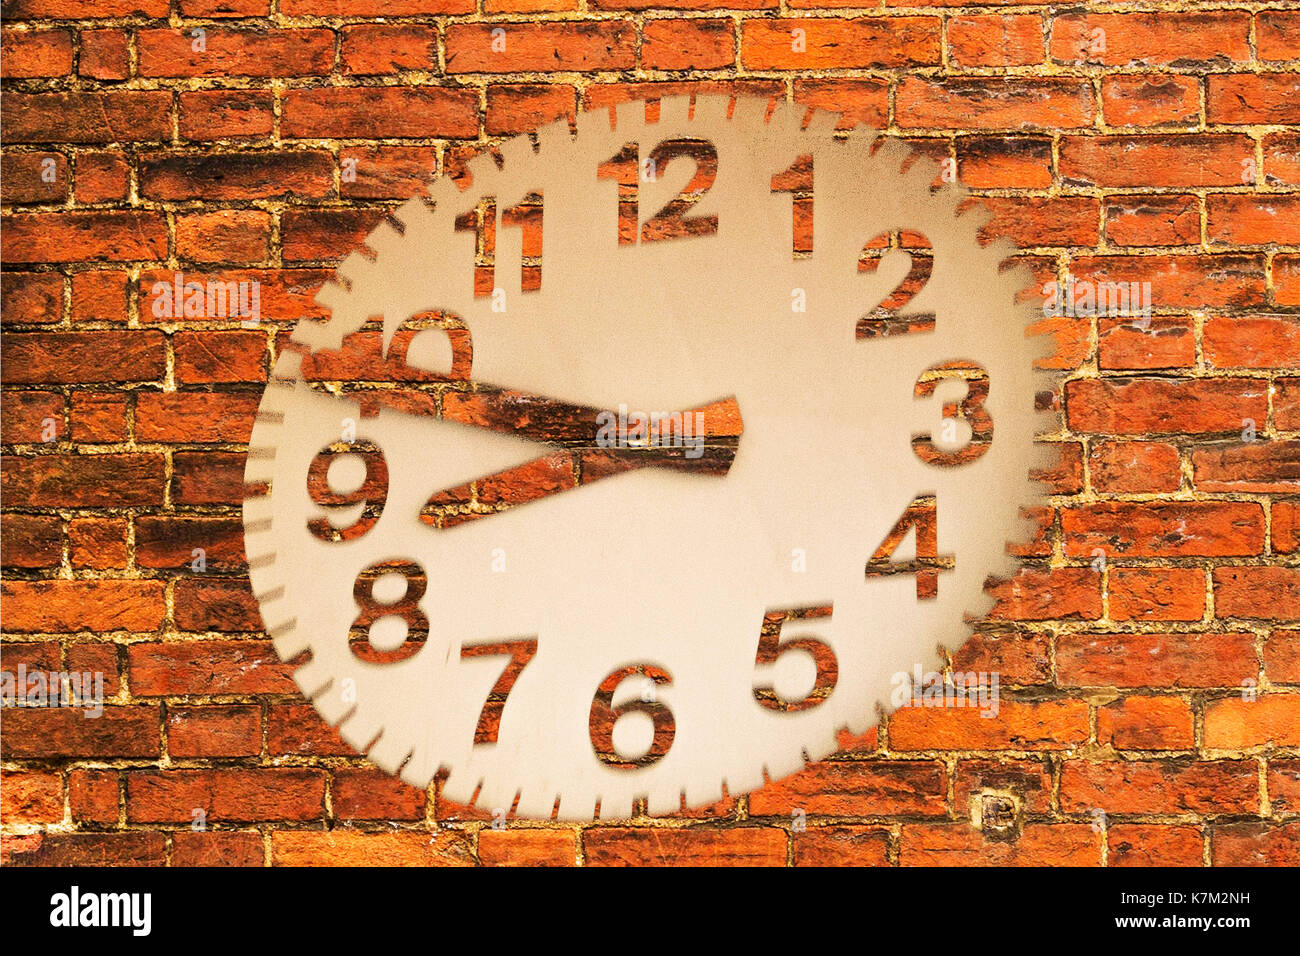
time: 8:48
